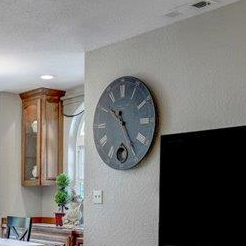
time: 10:24
